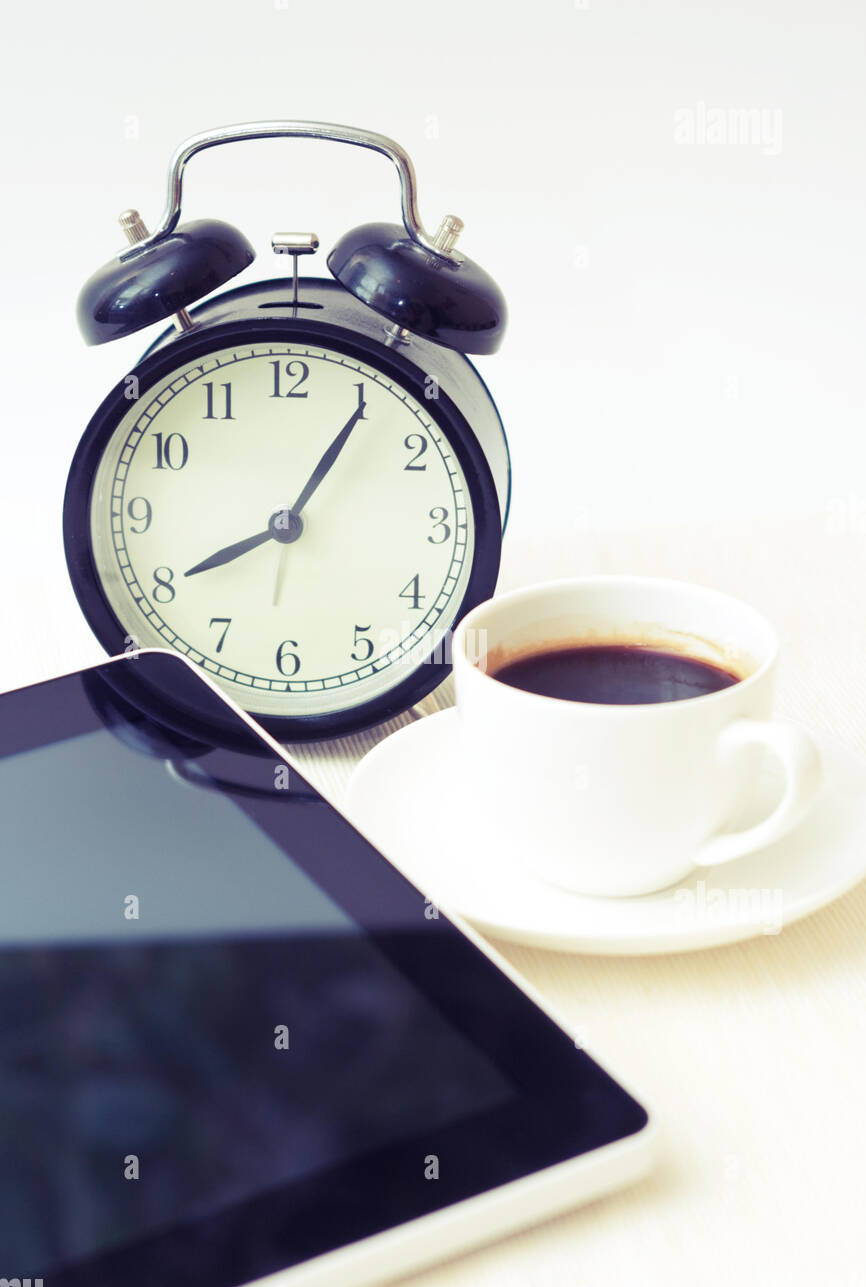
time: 8:05
